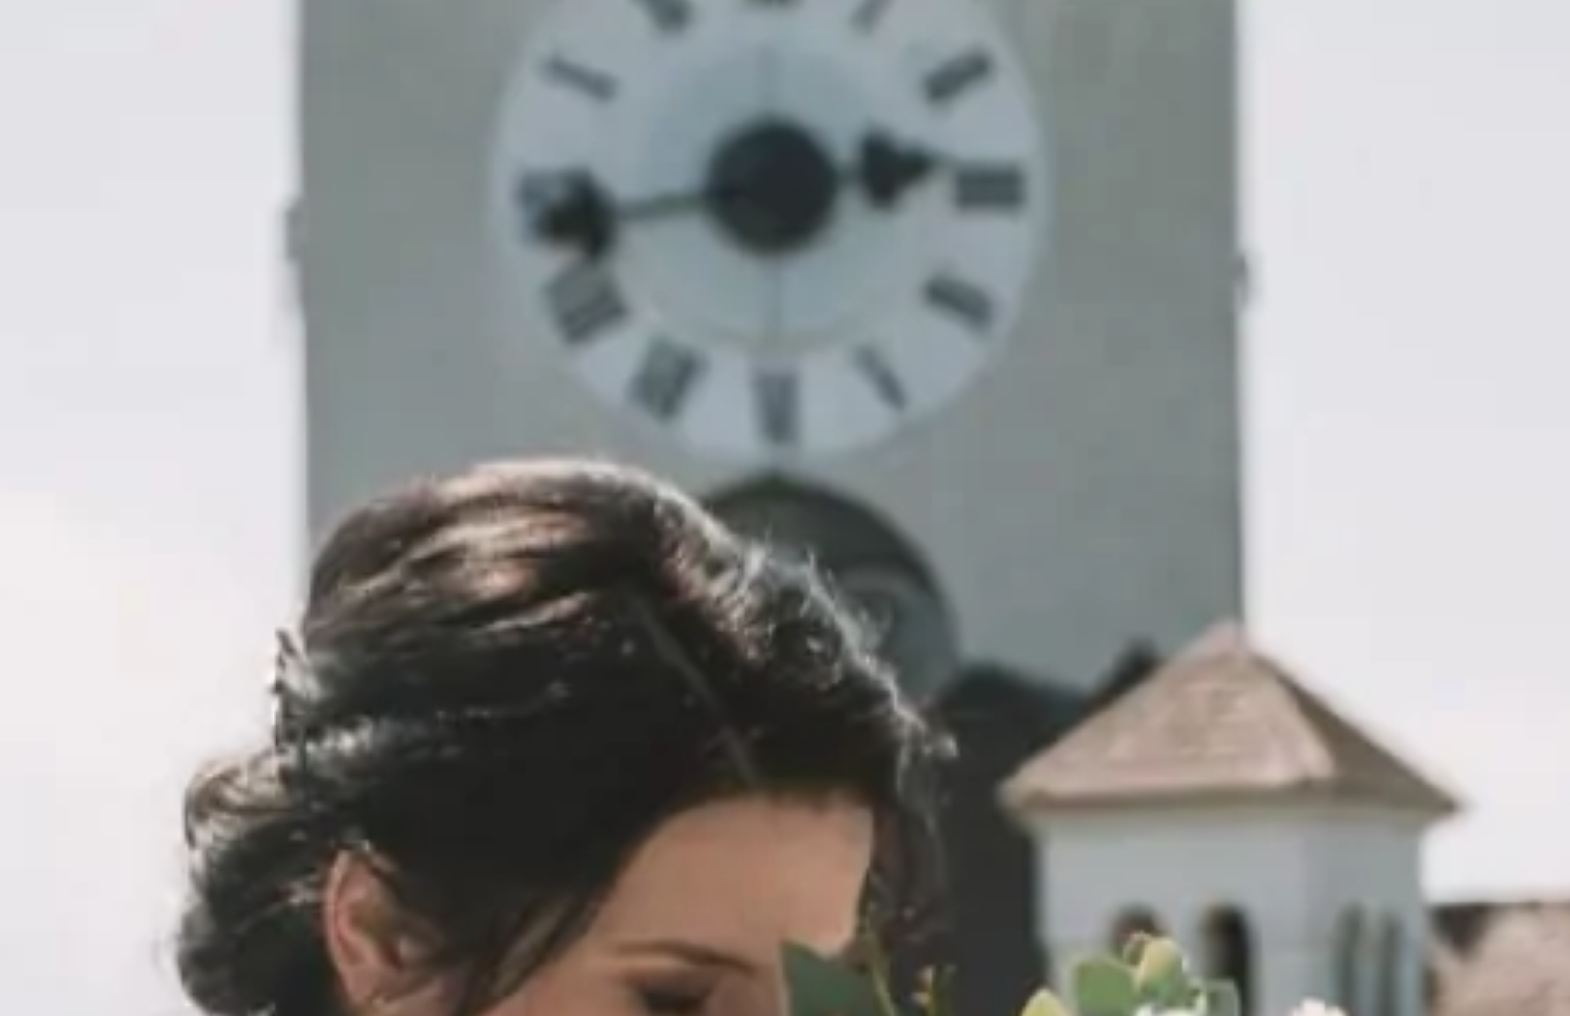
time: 2:43
